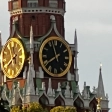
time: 7:57
